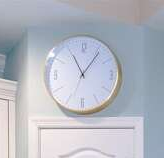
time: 11:06
